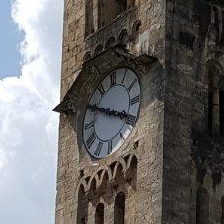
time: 3:49
